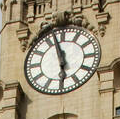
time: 5:57
